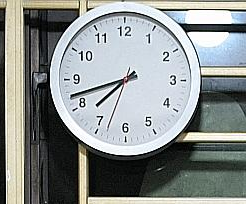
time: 7:42
